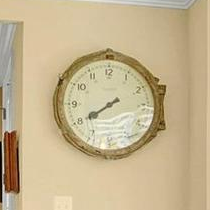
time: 7:39
